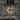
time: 3:02
